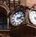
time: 2:18
